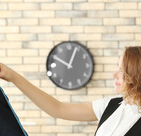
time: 12:49
